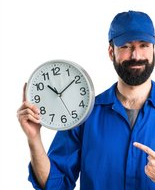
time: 10:09
